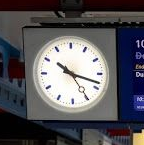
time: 10:18
